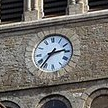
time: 2:36
